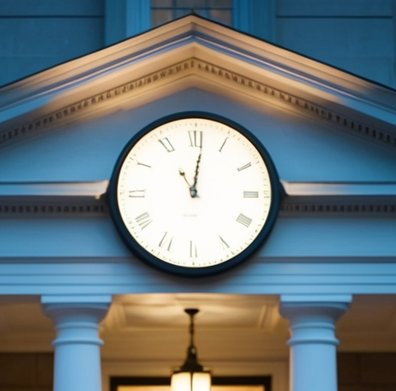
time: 11:01
